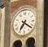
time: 7:21
